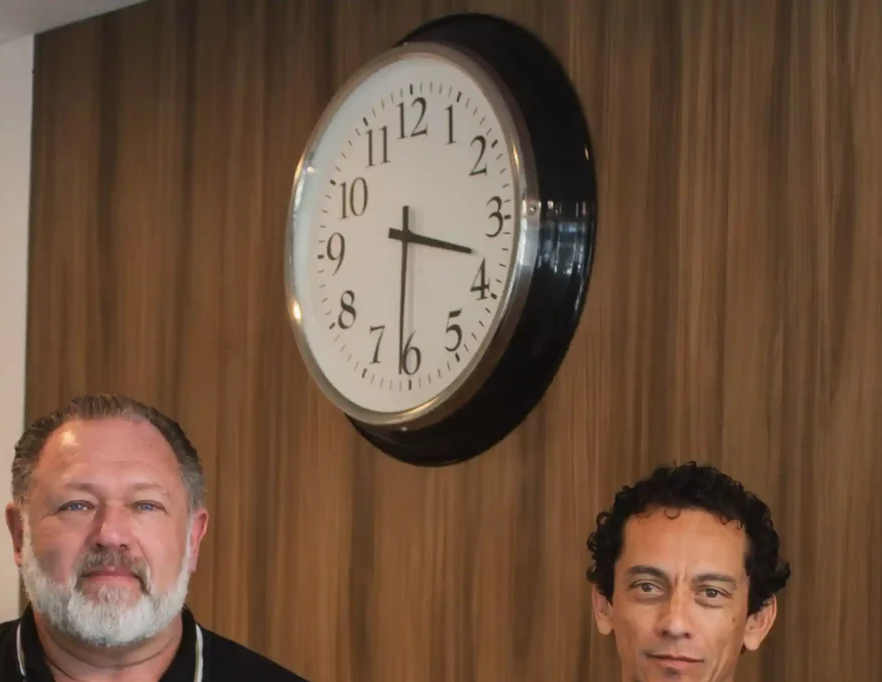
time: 3:31
